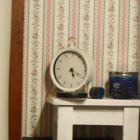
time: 5:19
